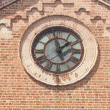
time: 1:57
